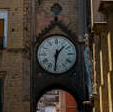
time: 1:31
